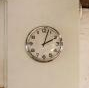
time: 2:02
